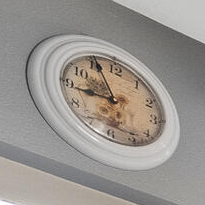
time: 8:55
